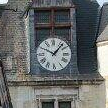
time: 10:07
